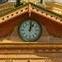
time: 1:01
